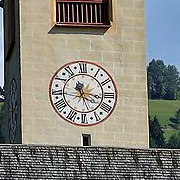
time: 11:17
